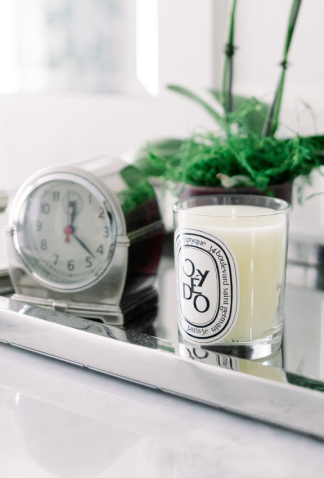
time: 12:22
